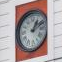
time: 1:11
